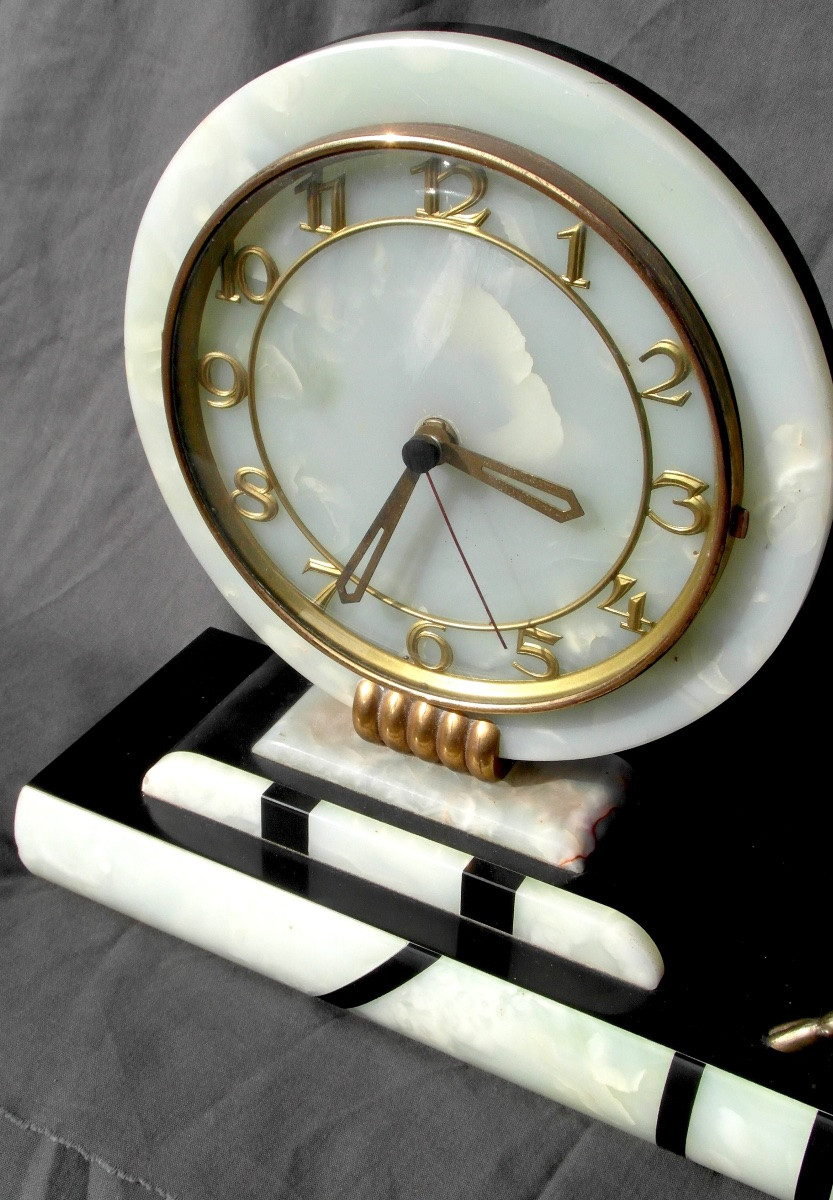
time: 3:34
